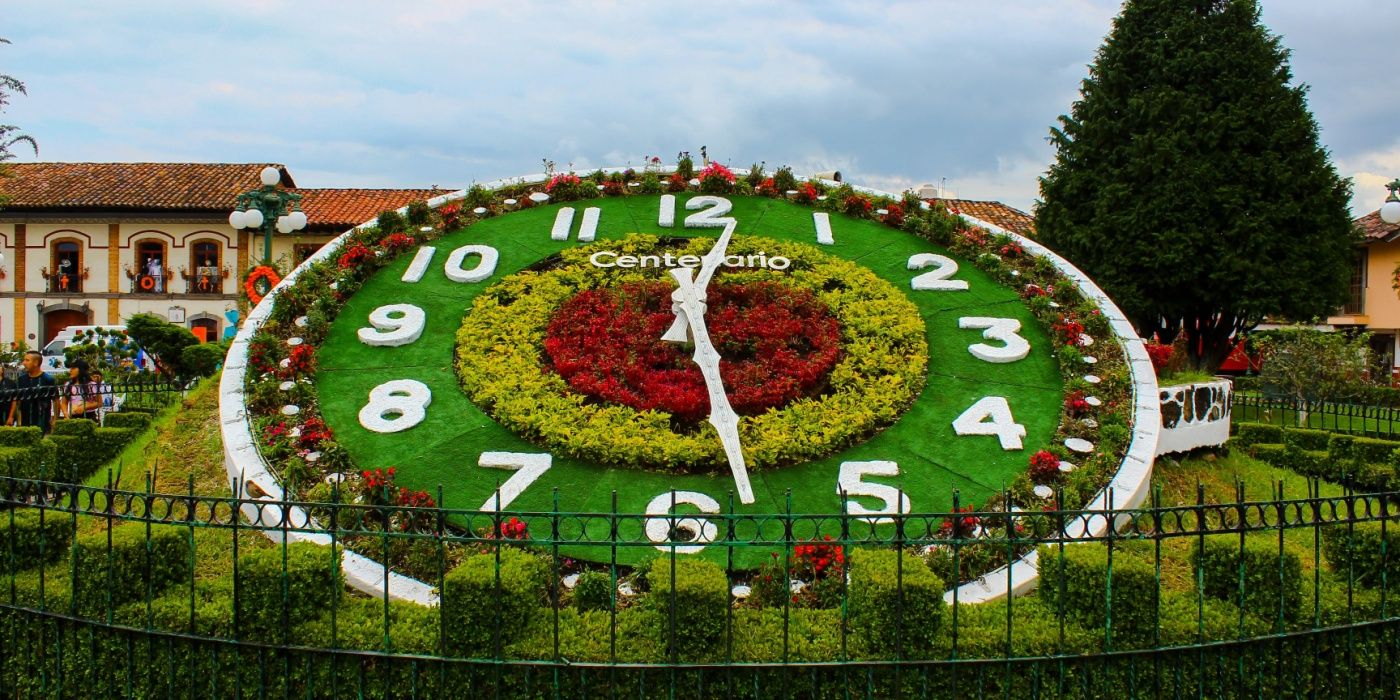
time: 12:28
